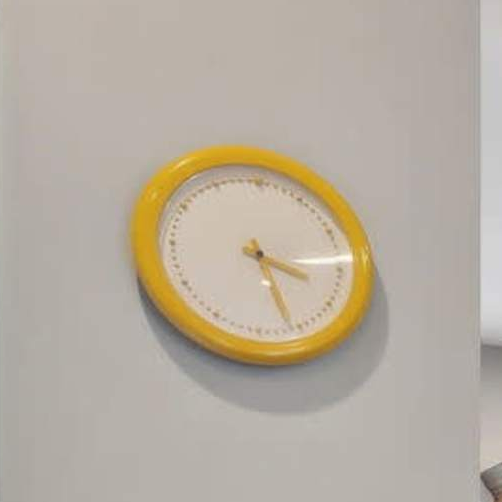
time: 3:26
